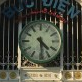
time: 4:29
